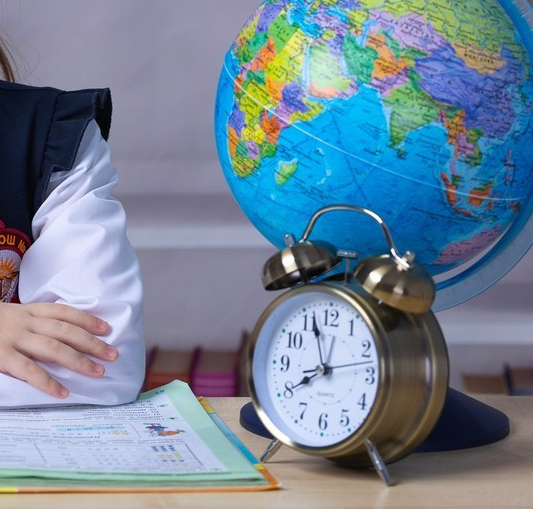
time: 7:56
